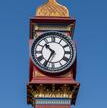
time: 10:34
